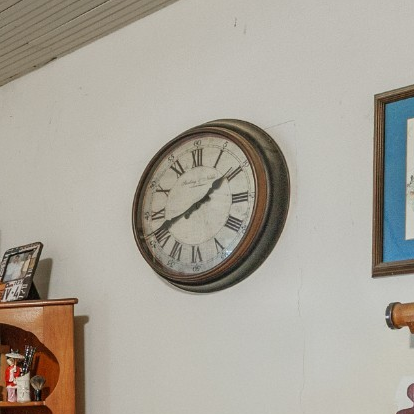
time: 1:41
